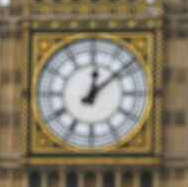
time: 12:08
